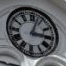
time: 3:02
